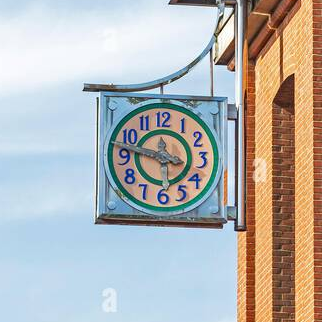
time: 11:47
